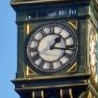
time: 1:16
